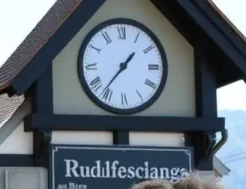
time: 1:36
